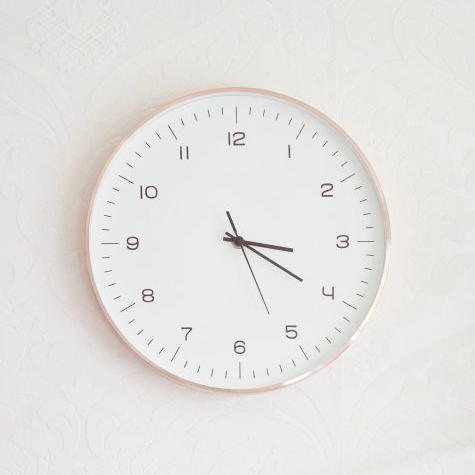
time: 3:20
